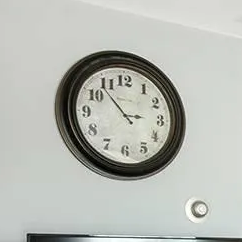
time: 2:53
